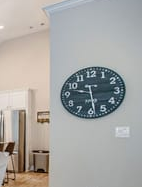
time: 9:28
